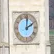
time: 2:01
